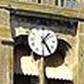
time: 1:24
